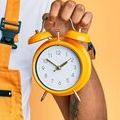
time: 1:51
